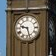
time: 9:27
